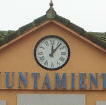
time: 12:06
